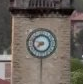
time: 7:47
